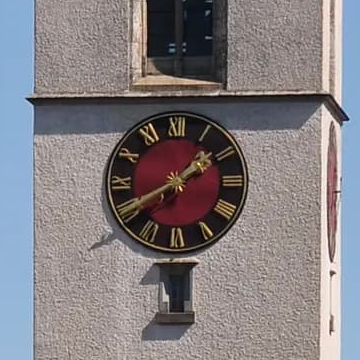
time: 1:40
